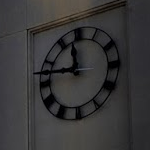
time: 11:46
